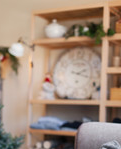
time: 2:18
